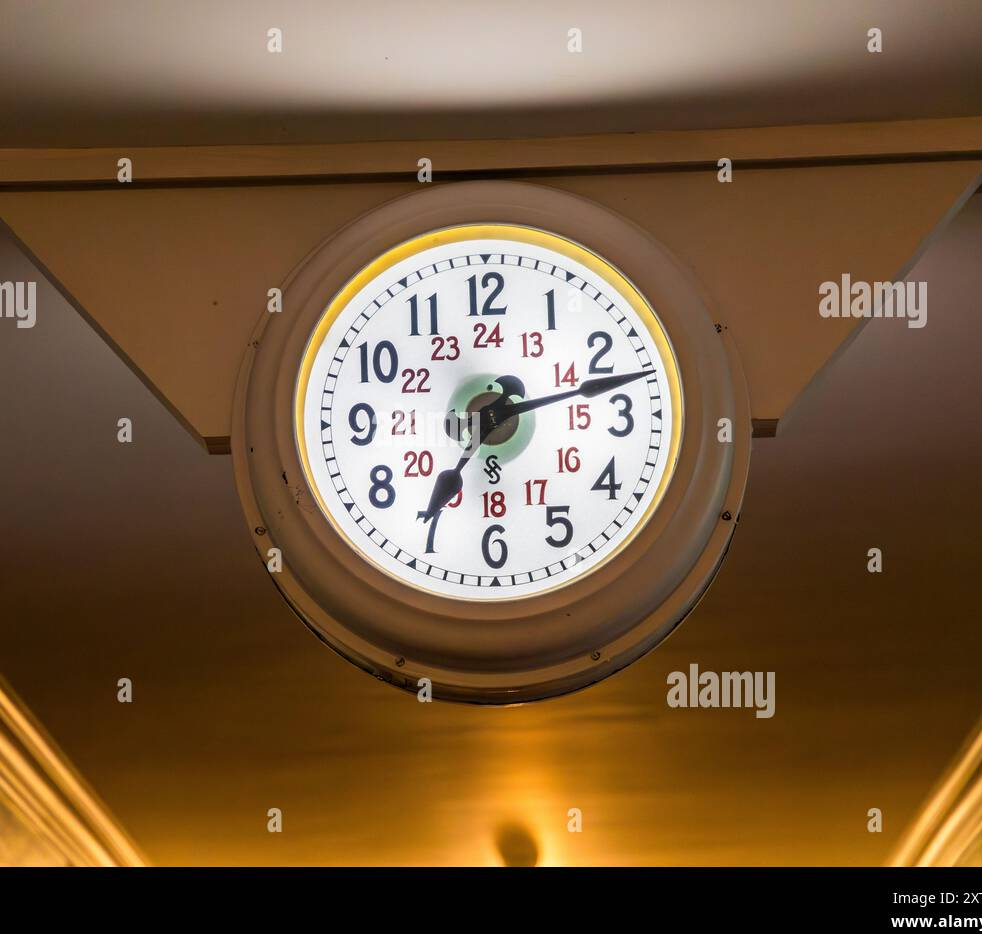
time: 7:12
